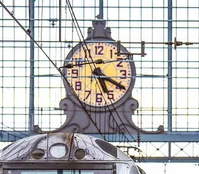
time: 5:19
